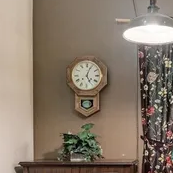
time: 5:03
